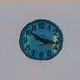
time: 10:17
